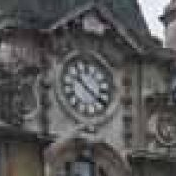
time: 10:20
